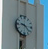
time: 9:22
